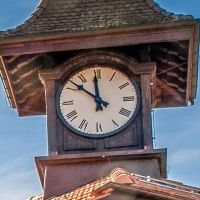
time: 11:51
